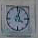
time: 4:02
